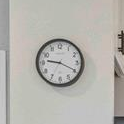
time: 9:19
